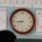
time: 8:38
